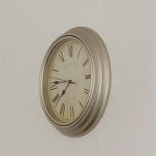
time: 7:46
